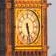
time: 5:27
